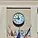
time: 11:44
